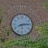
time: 8:13
